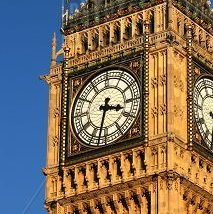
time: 3:32
